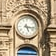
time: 5:16
